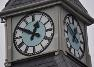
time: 12:49
